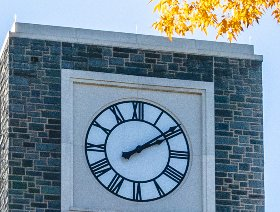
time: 2:09
